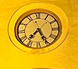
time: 7:25
